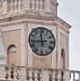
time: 11:43
